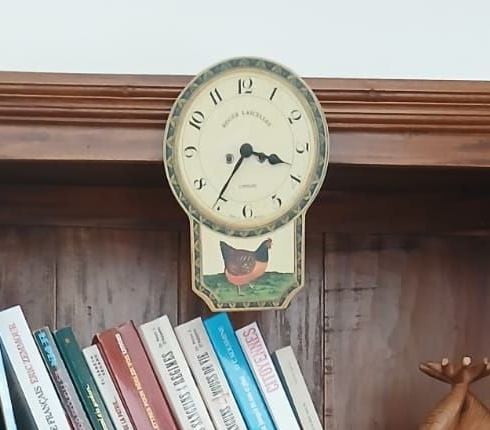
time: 3:35
